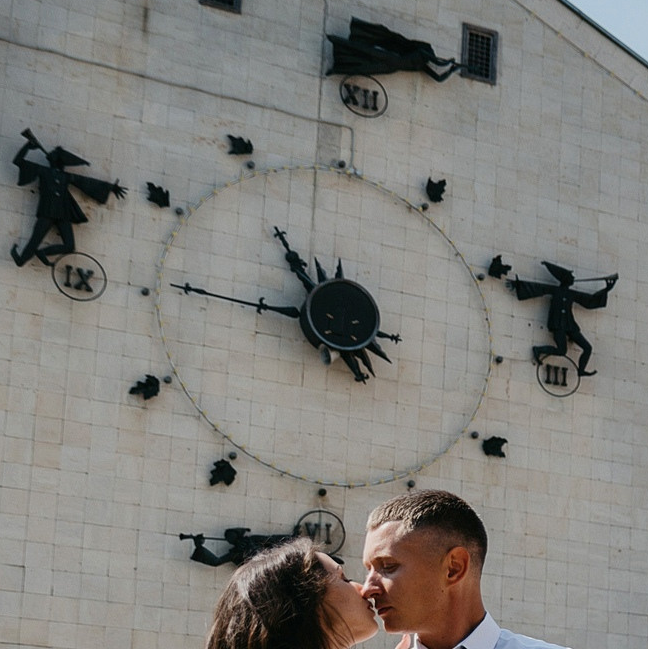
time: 10:45
